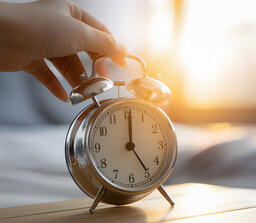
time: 5:00
